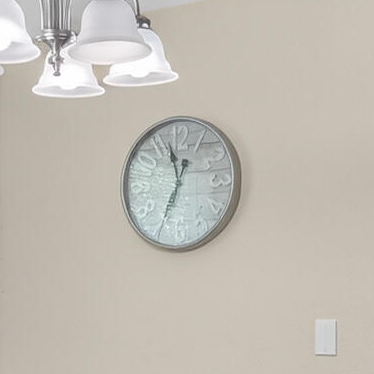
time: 11:34
